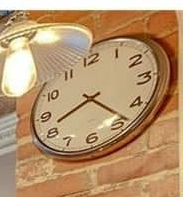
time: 8:23
